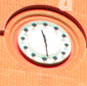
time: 11:28
